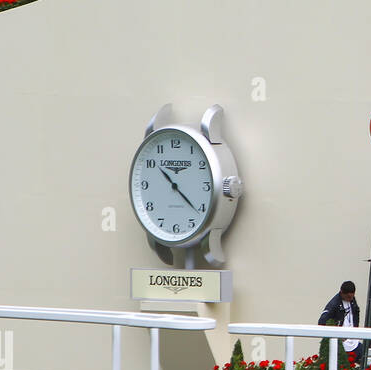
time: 10:21
